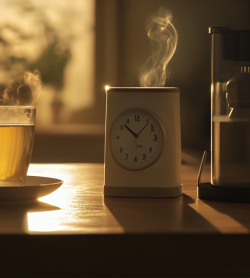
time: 10:07
